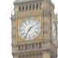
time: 1:35
